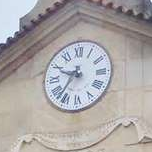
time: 9:36
